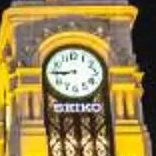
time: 8:45
